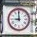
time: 8:59
